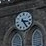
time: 3:24
